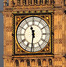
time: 11:31
